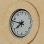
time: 7:47
